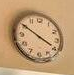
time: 3:50
